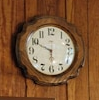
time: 5:49
